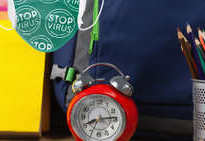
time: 8:14
